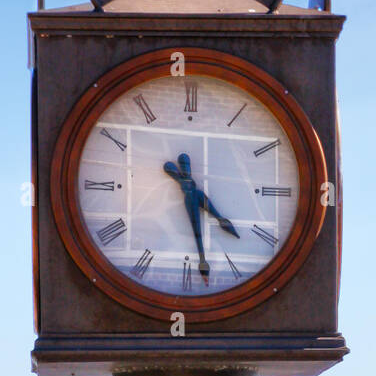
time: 4:28
